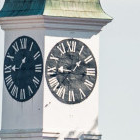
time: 1:37
